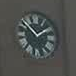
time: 1:50
